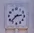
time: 2:37
